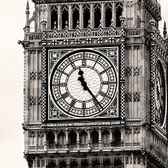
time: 11:23
